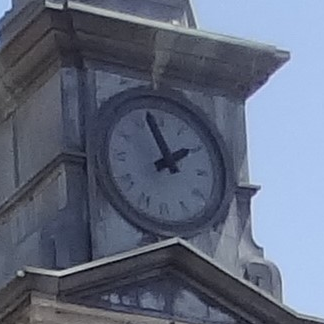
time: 1:56
